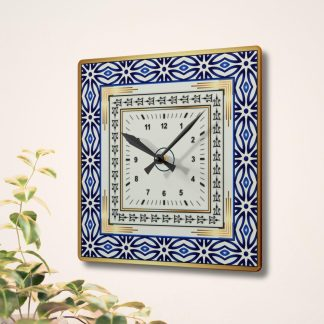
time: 10:07
